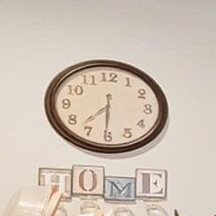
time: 7:30
